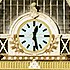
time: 12:28
